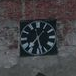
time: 7:28
